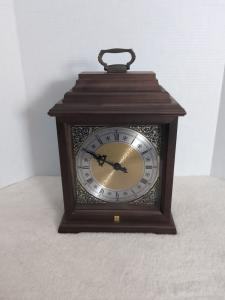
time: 9:50
